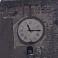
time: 11:14
